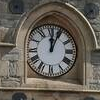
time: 12:04
